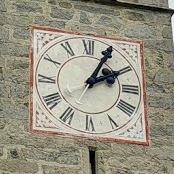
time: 2:05
